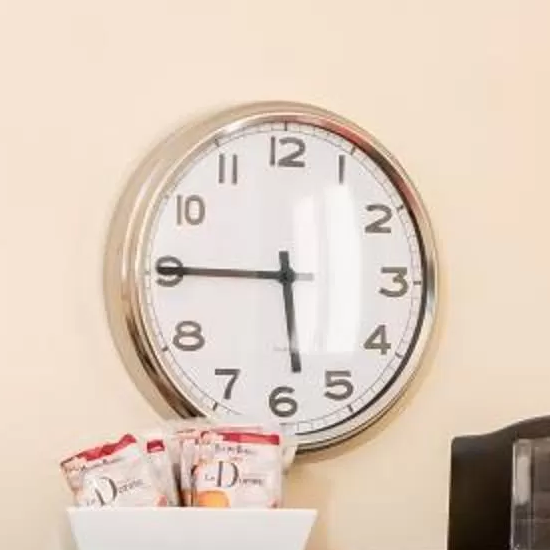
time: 5:45
